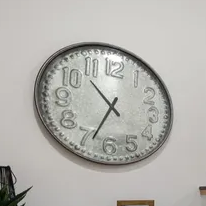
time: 10:34
